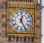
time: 12:25
